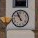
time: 10:56
